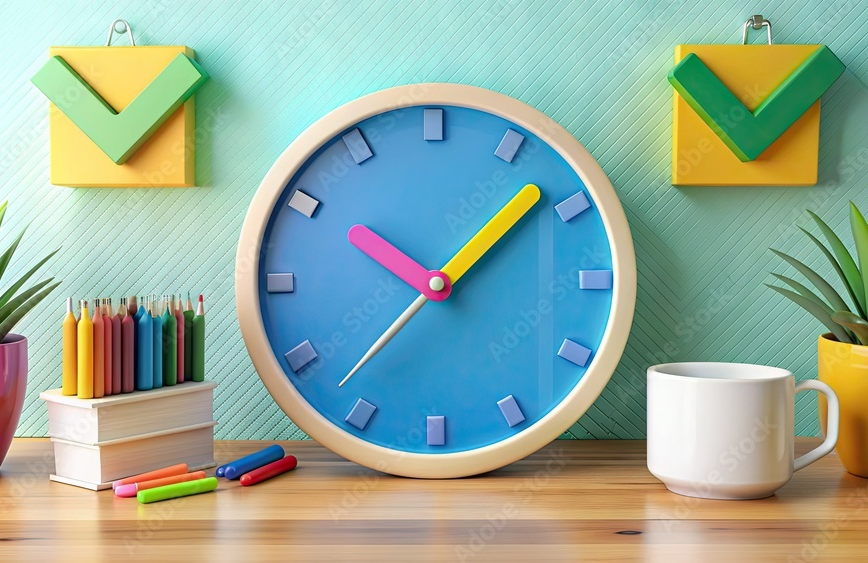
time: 10:07
